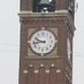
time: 9:43
